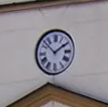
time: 1:52
